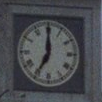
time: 7:00
